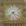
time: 4:37
